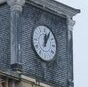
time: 12:04
